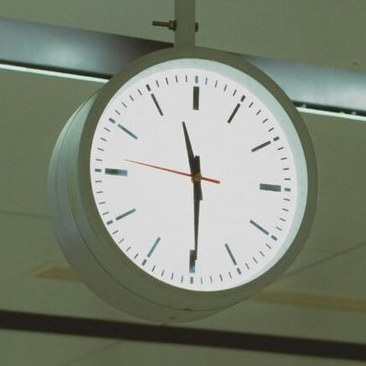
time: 11:29
